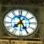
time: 7:25
